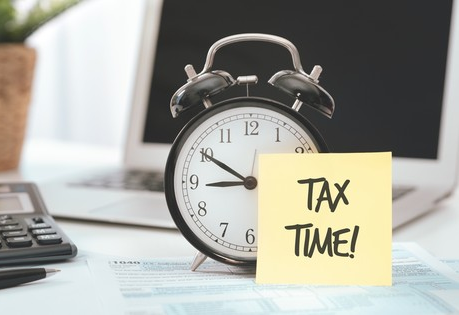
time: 8:49
